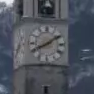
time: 8:09
